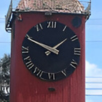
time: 1:49
